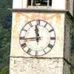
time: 11:43
